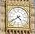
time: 4:39
